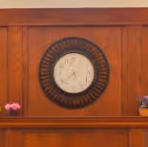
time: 7:37
